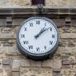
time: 1:08
